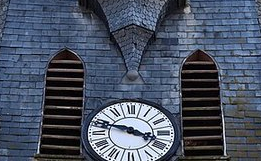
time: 3:47
